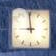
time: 8:59
